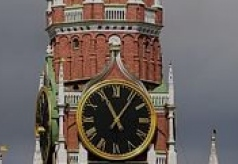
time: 11:06
